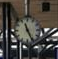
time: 11:25
